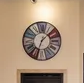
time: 1:33
